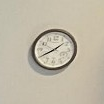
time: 1:40
